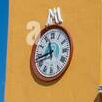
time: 11:42
